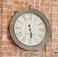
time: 5:29
